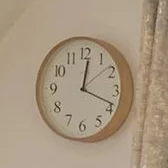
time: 12:18
